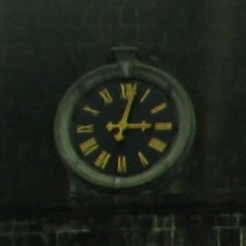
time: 3:02
